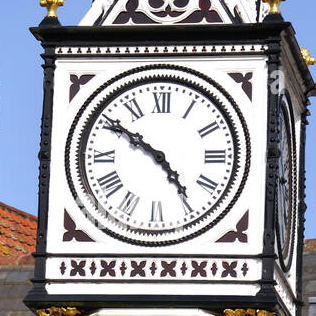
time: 4:50
